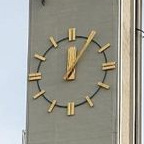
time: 12:05
